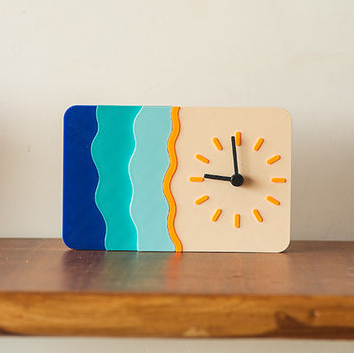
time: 8:59
